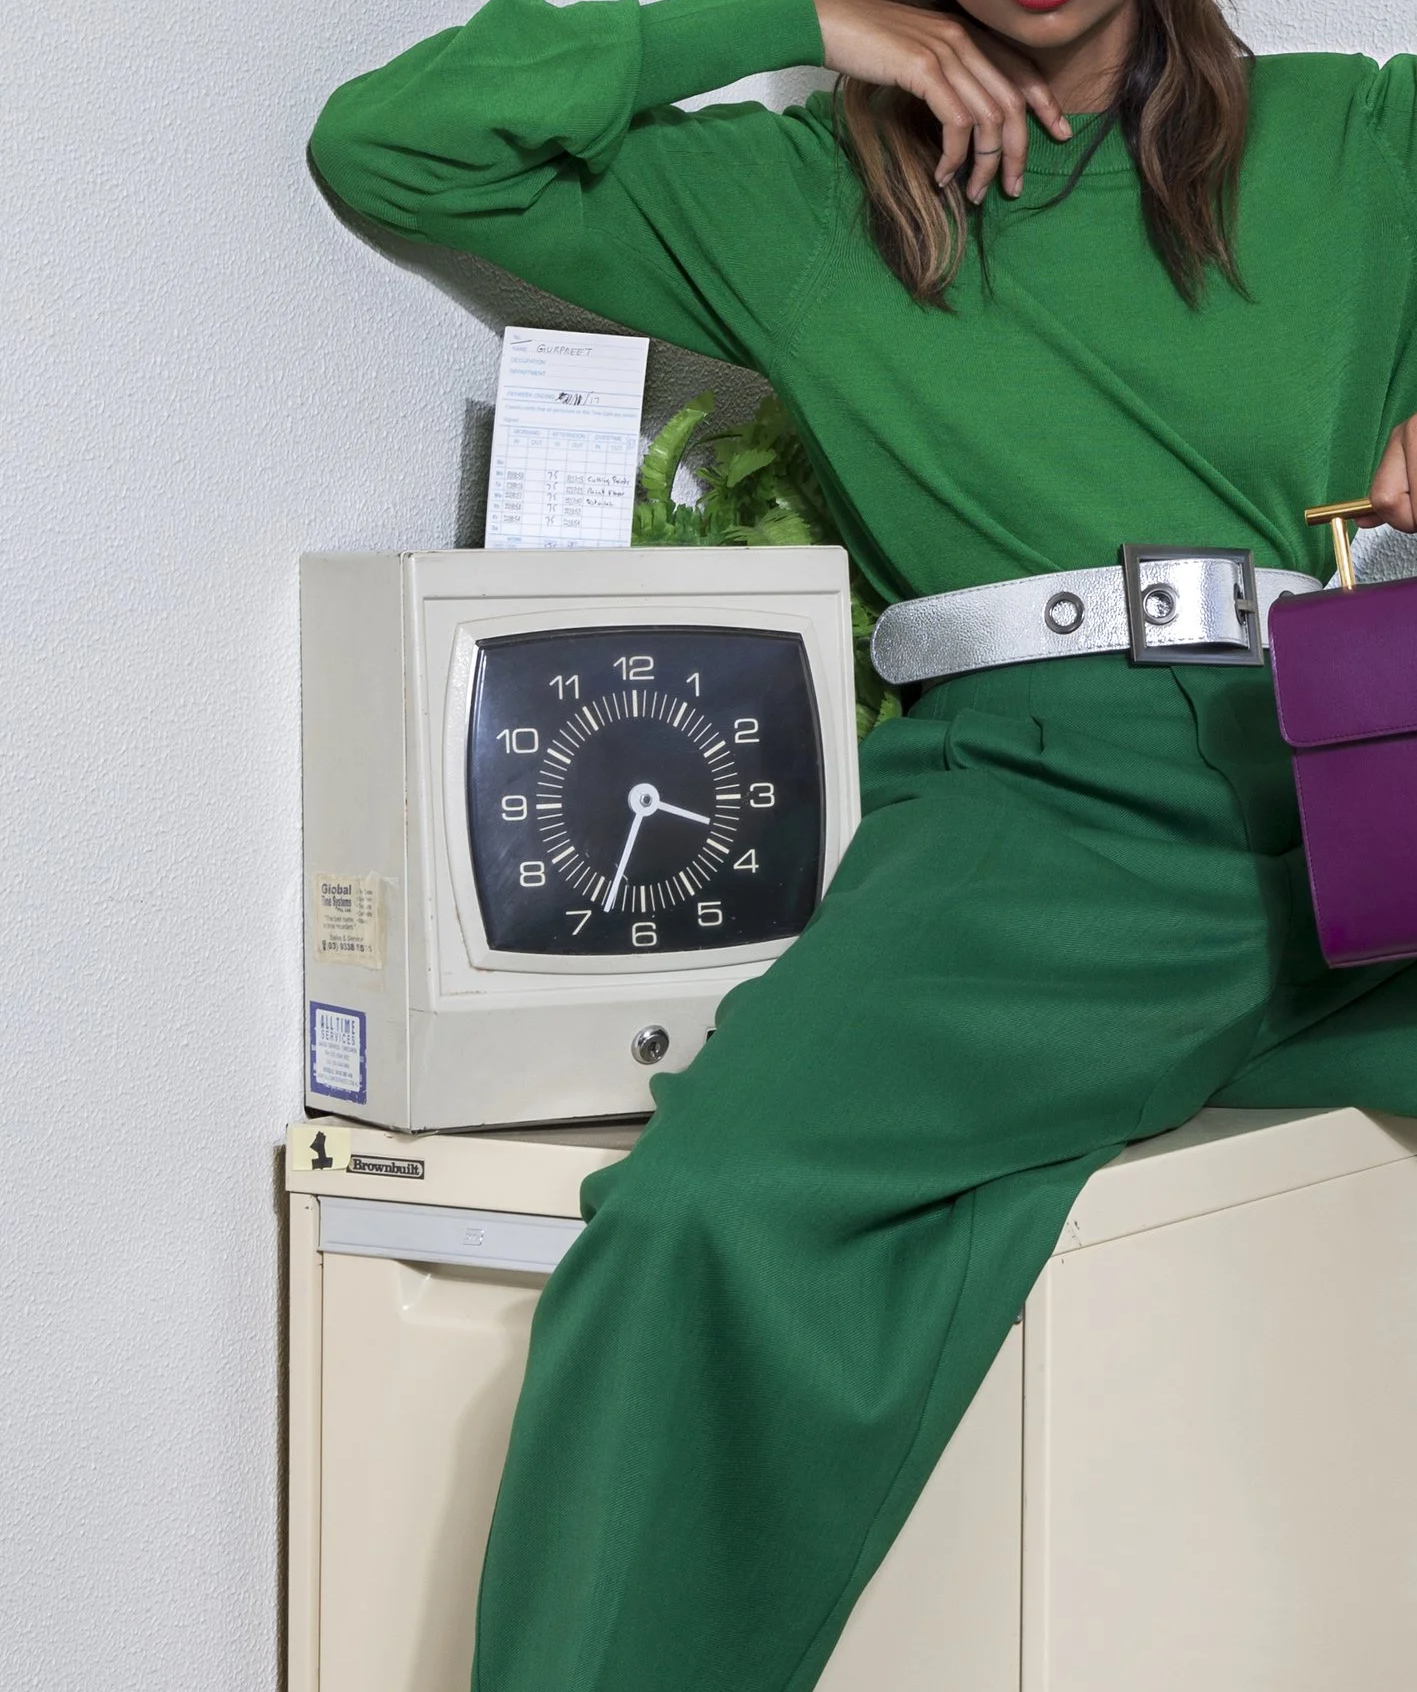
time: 3:33
